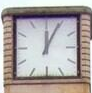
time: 12:04
